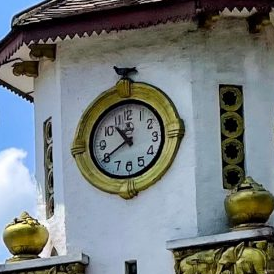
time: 10:39
